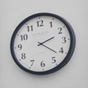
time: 2:21
